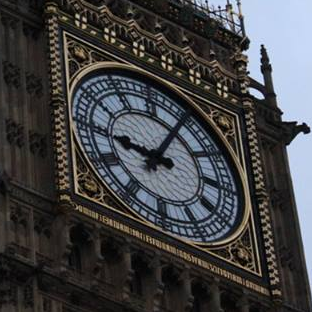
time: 9:05
